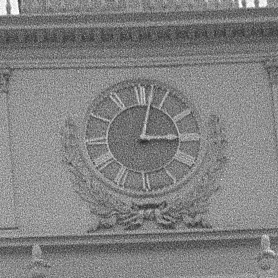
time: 3:02
